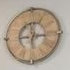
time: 2:58
